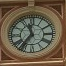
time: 11:36
